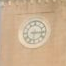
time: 6:15
